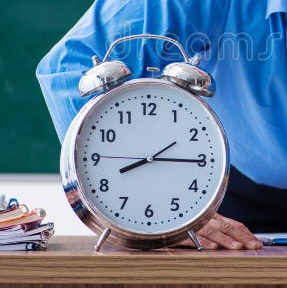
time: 8:15
